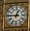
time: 12:45
